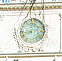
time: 8:40
